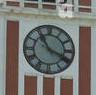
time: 3:54
